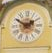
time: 1:50
